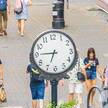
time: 6:45
